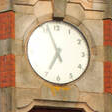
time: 6:56
